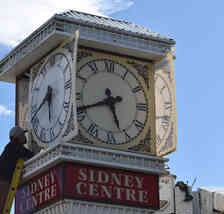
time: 5:41
